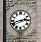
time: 2:42
